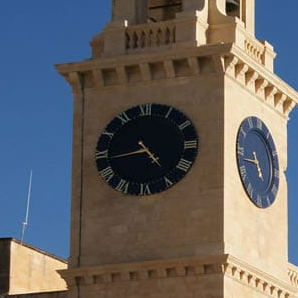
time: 4:43
